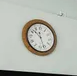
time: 10:26
